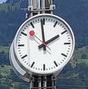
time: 1:59
